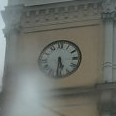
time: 5:31
